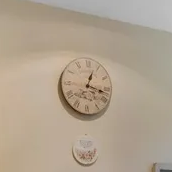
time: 12:16
